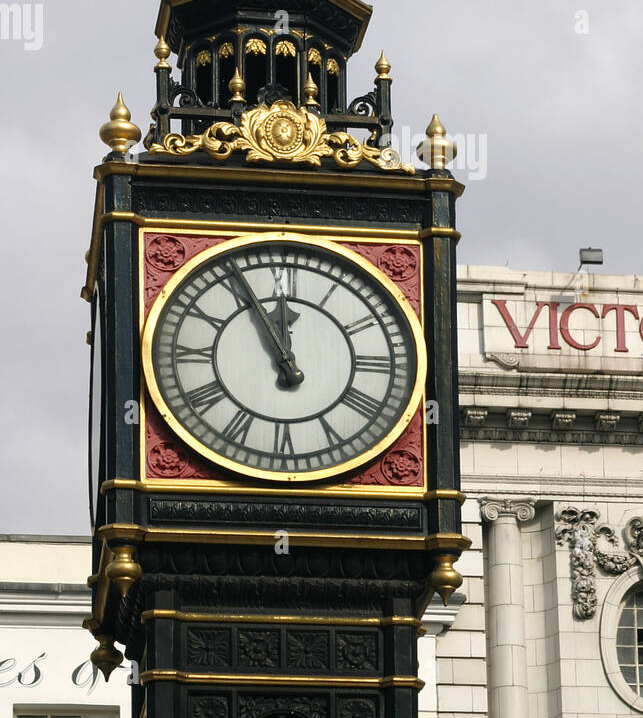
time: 11:55
